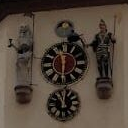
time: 11:30
